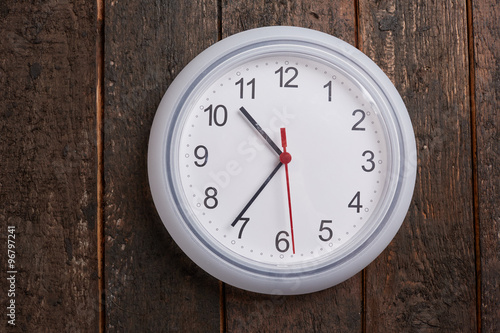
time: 10:36
